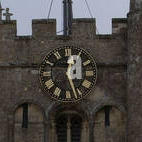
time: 12:26
